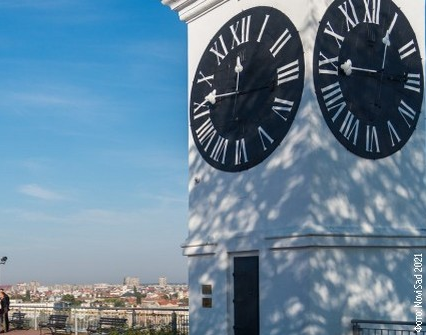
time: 12:16
